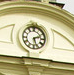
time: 2:27
